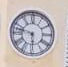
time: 5:47
